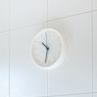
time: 10:32
